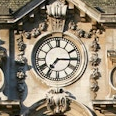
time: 7:15
